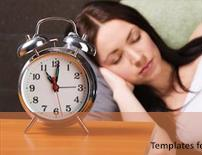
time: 11:01
